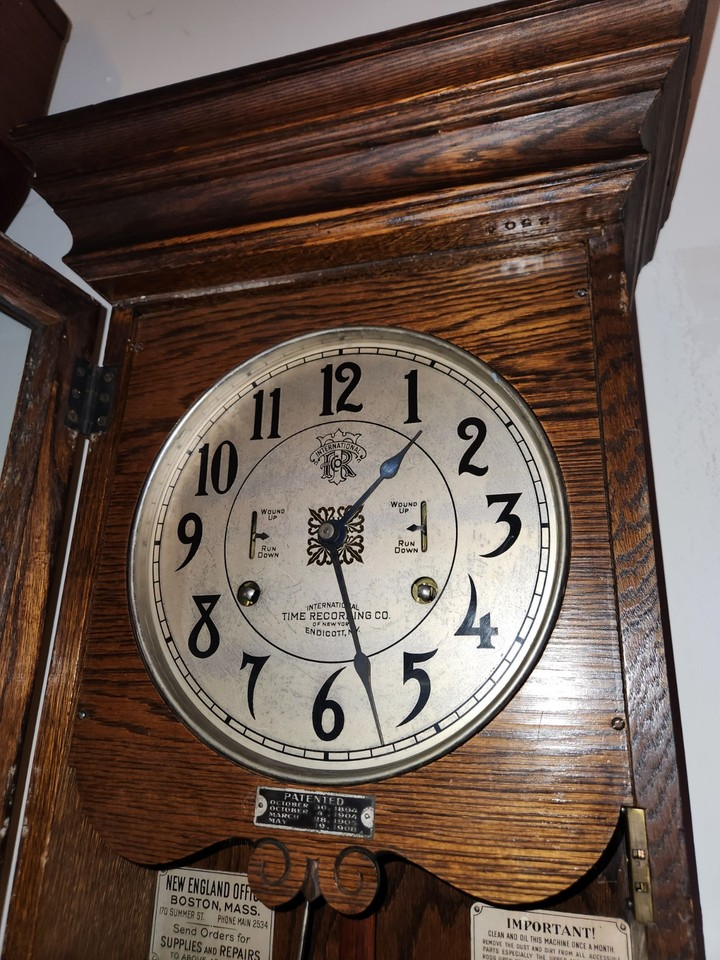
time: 1:27
